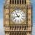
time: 10:42
